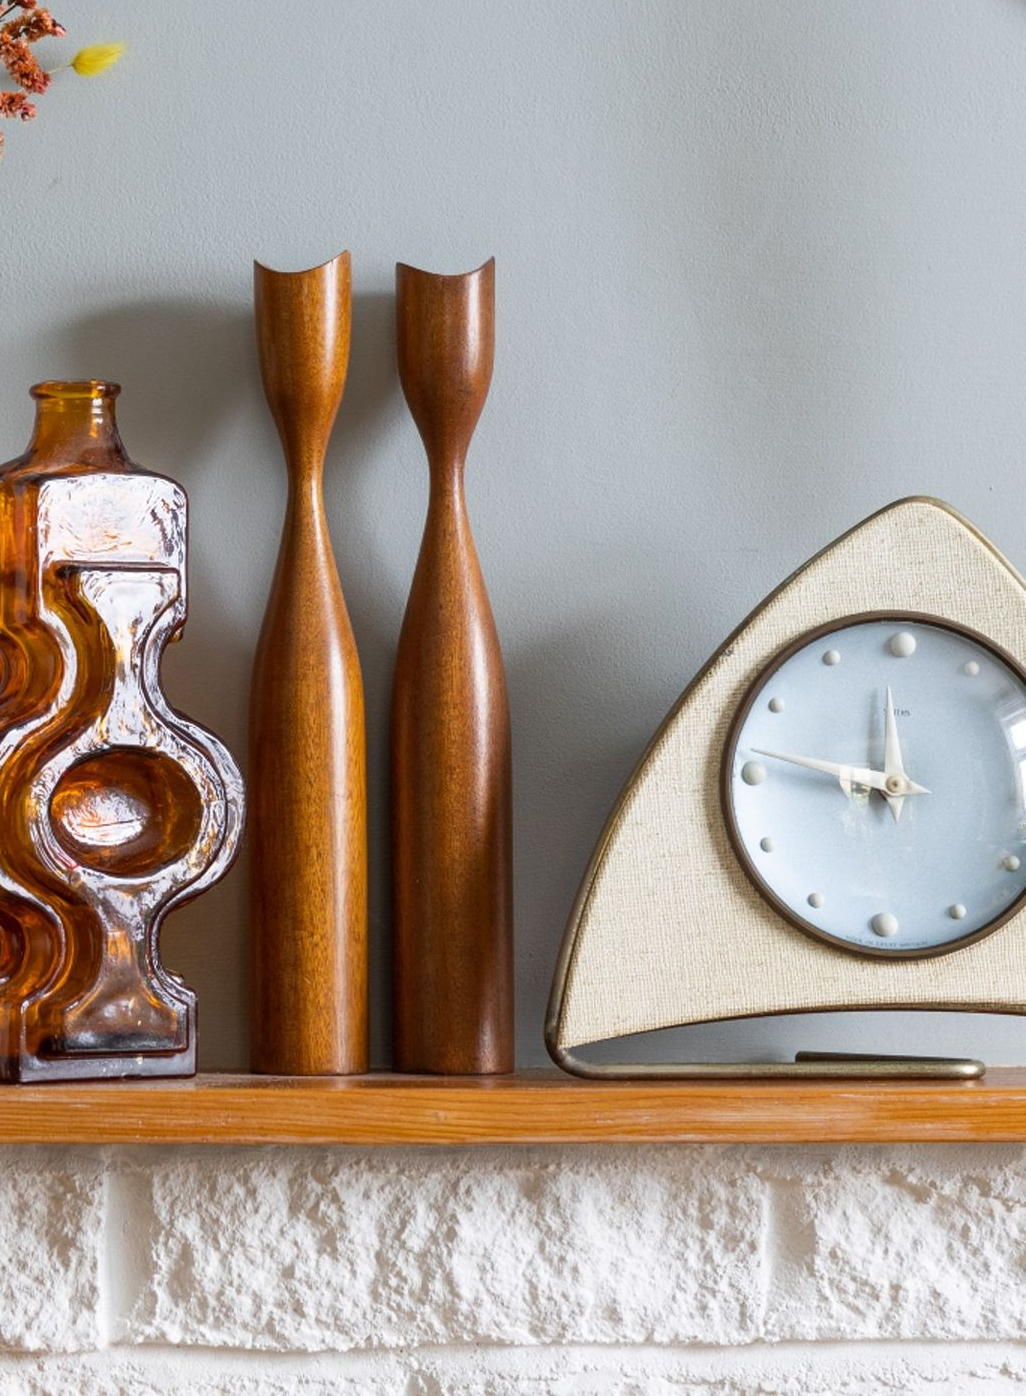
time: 11:46
